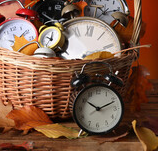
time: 10:11
